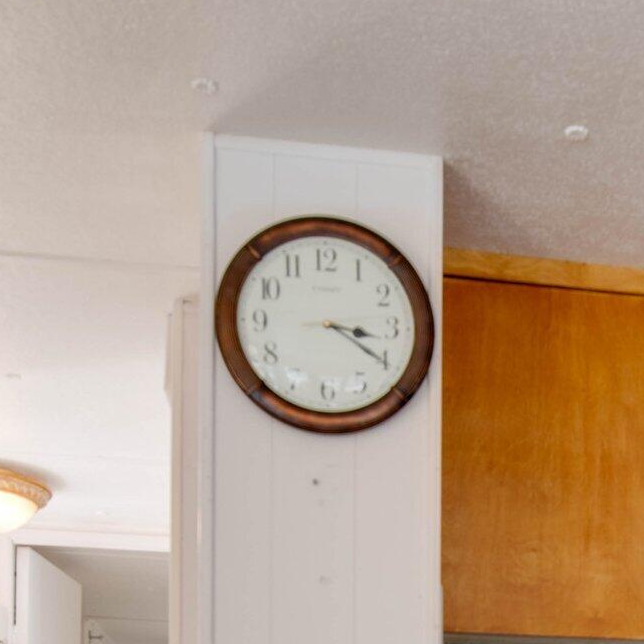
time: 3:20
